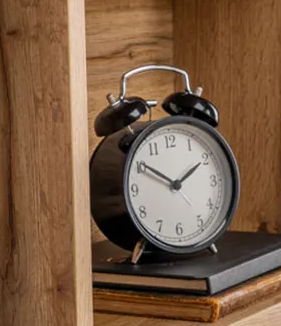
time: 1:50
